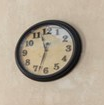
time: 11:32
